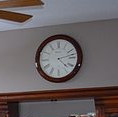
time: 4:12
